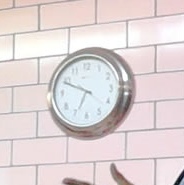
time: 6:49
